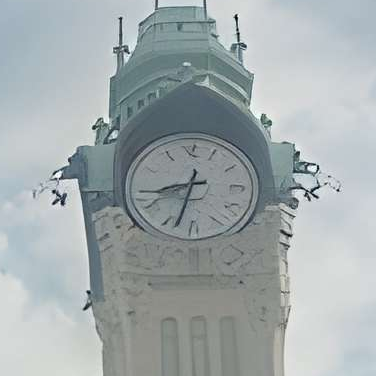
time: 8:32
